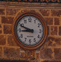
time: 8:48
